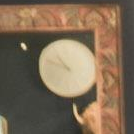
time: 10:48
